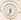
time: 6:32
